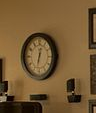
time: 12:32
